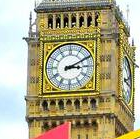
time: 3:10
